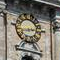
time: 2:42
